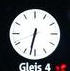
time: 6:32
